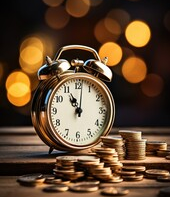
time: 11:01
